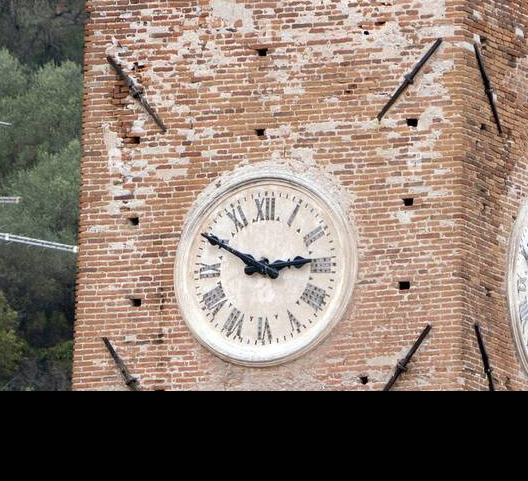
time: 2:49
